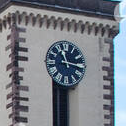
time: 11:16
